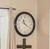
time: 11:20
